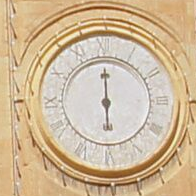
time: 6:00
